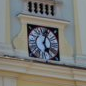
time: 5:02
